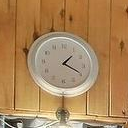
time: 1:19
